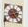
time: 2:23
